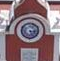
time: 5:14
